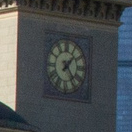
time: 1:24
